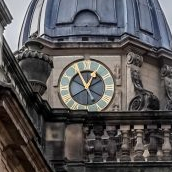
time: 12:55
